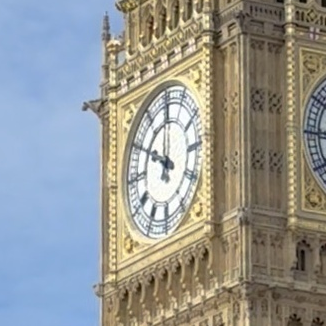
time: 10:00
